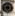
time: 9:01
